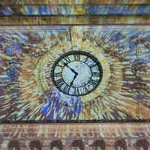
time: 6:52
